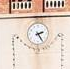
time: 2:24
